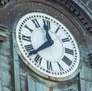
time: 11:37
